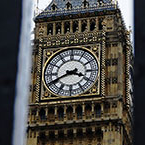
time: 3:40
